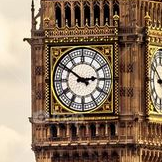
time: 2:50
